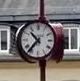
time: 10:36
